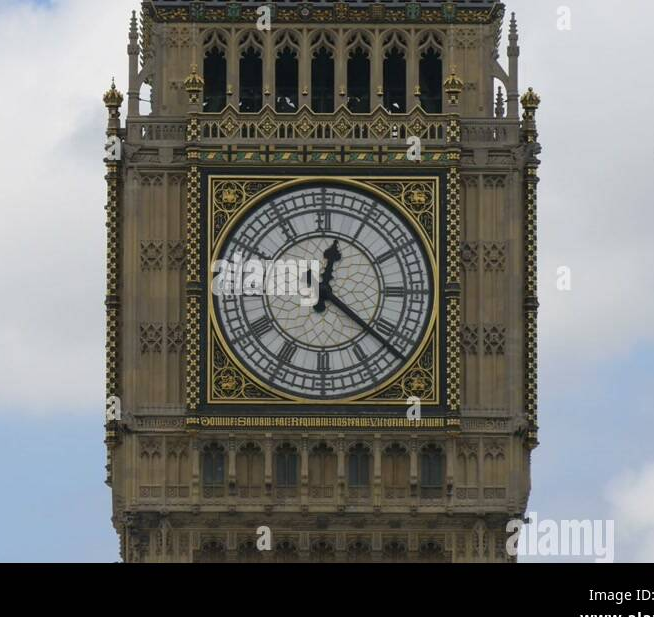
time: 12:21
